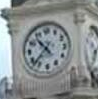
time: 10:37
